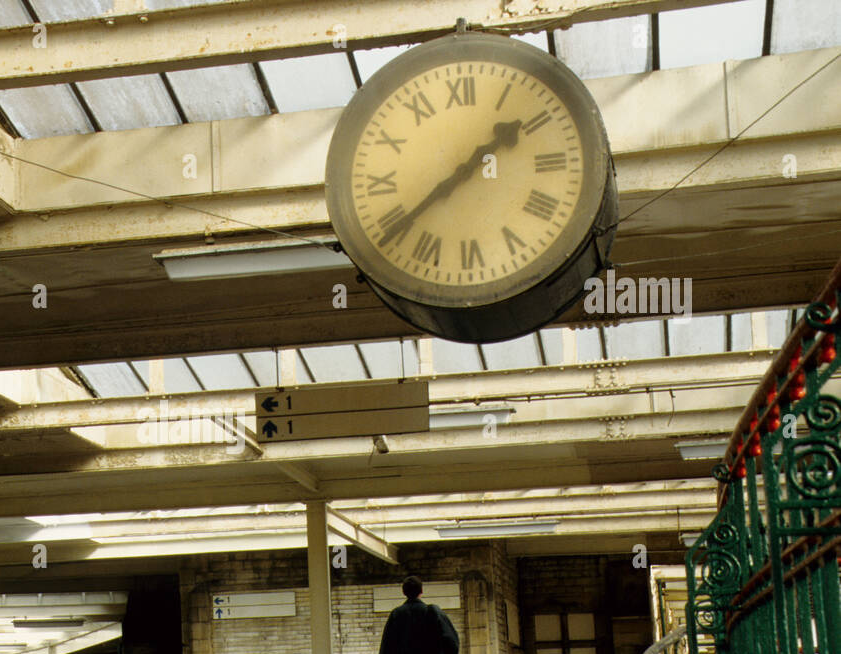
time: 1:39
